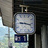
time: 9:17
